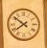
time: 7:51
